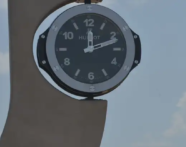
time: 12:11
